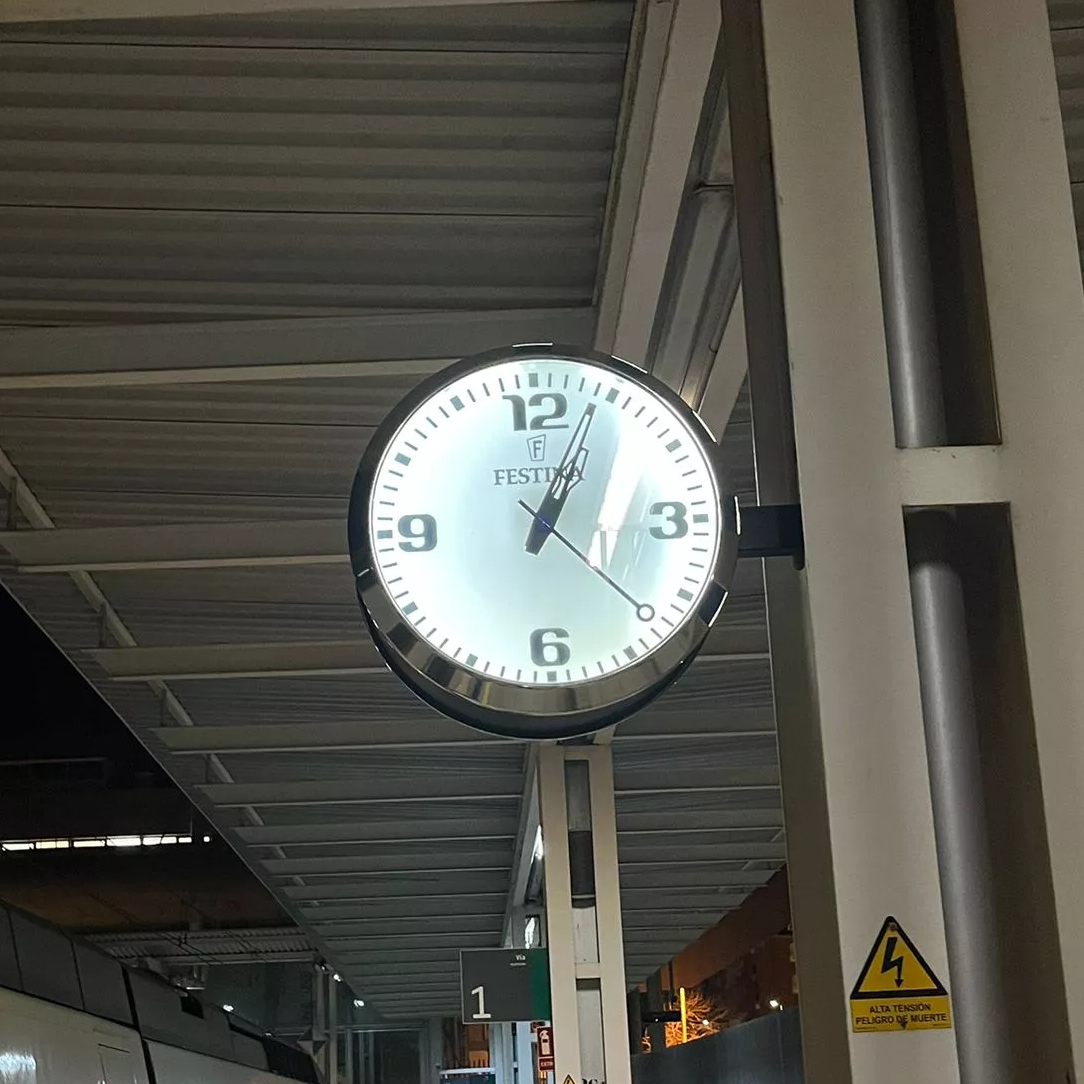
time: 1:04
